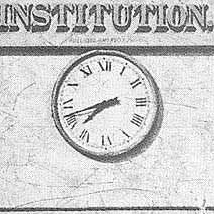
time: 7:42
